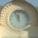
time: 11:55
